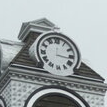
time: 3:16
